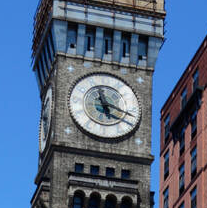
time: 5:18
